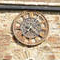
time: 7:20
